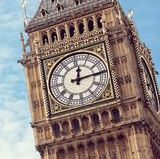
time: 12:14
